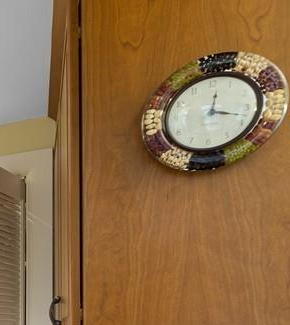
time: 12:17
